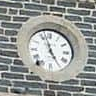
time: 4:57
